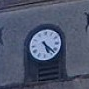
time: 5:22
